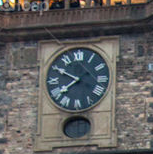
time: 7:49
